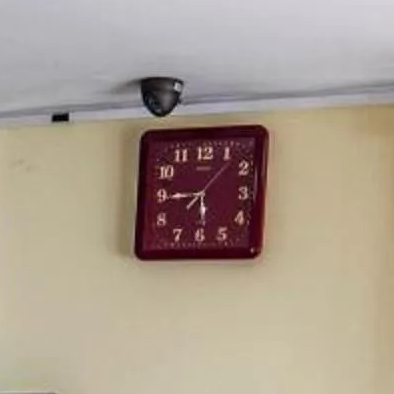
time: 5:44
